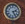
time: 2:24
